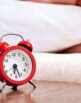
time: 6:27
